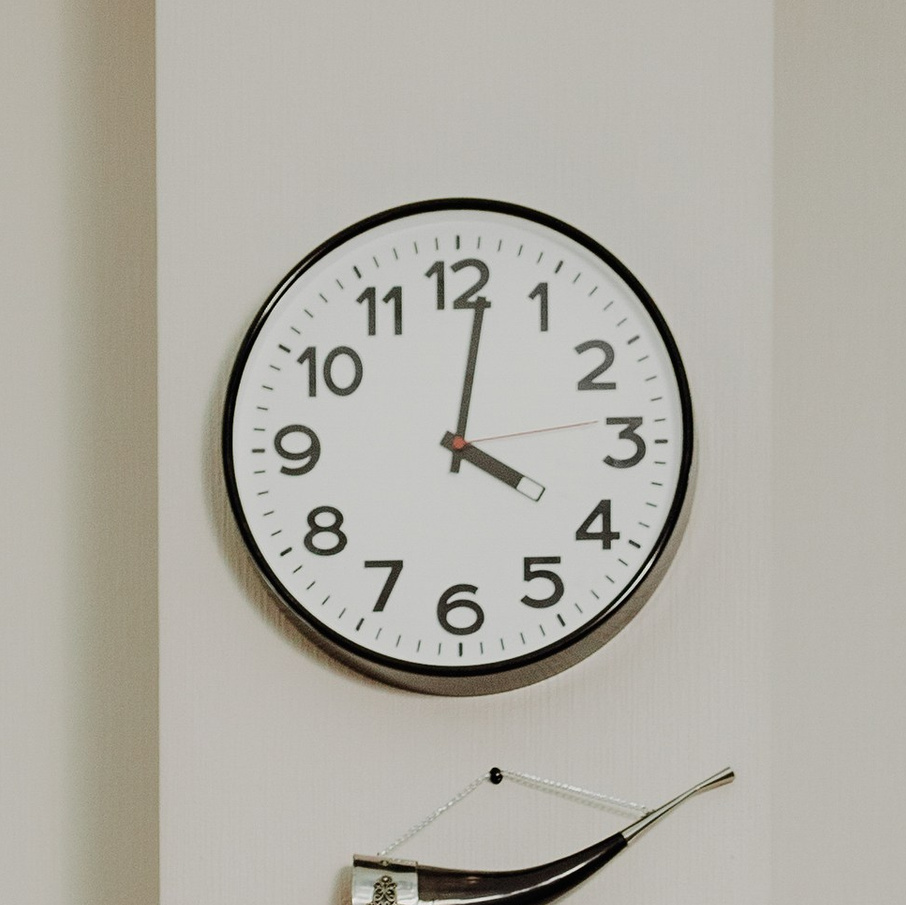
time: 4:01
